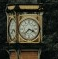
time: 3:37
